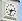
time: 2:32
